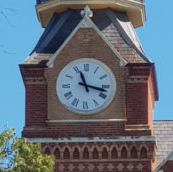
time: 11:17
